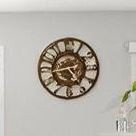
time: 4:42
